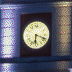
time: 6:18
